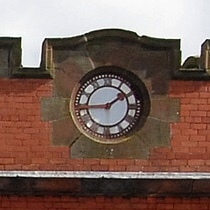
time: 1:43
